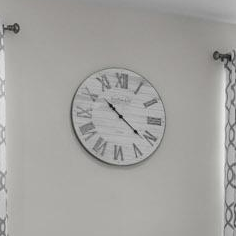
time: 10:21
